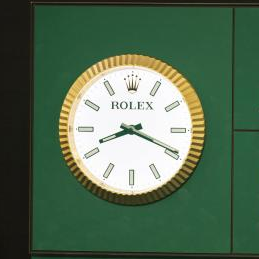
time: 8:19
